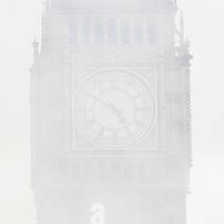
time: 4:49
